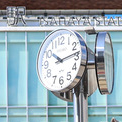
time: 10:13
